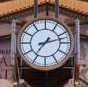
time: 7:12
